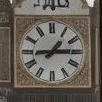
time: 1:14
